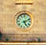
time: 5:11
